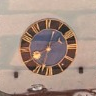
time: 12:32
